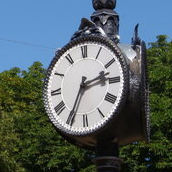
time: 2:34
